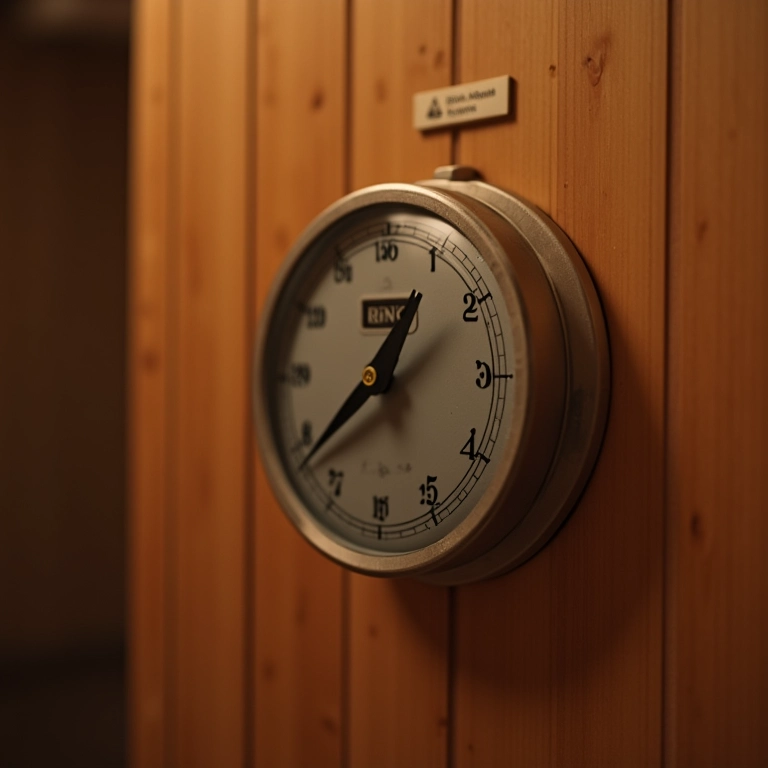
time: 12:38
